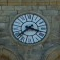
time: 3:38
